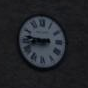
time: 8:46
